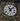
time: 11:07
